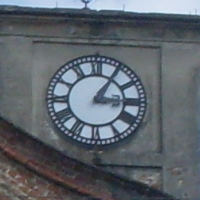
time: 3:05
